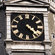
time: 4:22
